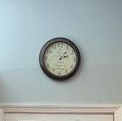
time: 2:06
